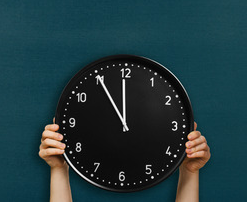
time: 11:55
